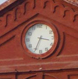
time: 3:34
